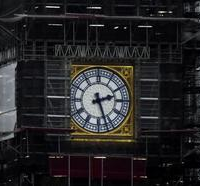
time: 2:26
